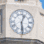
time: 12:28
